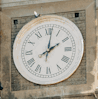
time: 2:01
